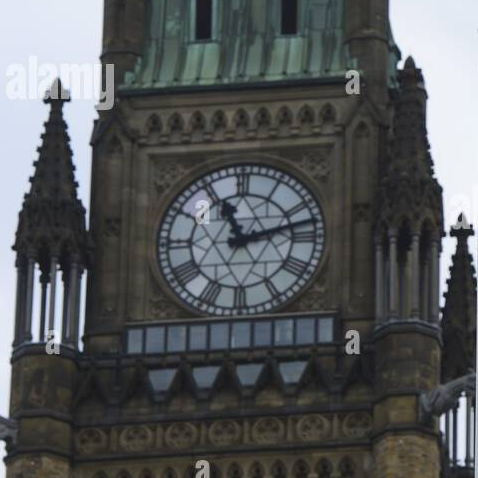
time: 11:12
